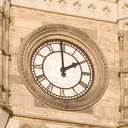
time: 1:59
